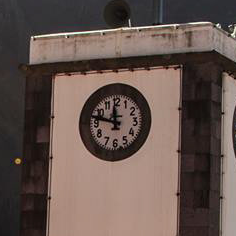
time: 11:47
